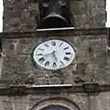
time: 5:41
